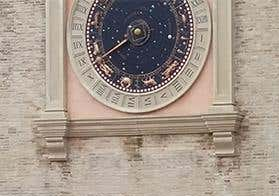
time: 7:38
